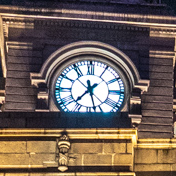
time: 7:27
